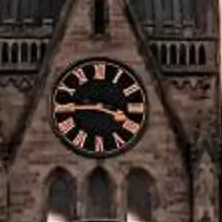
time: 3:44
